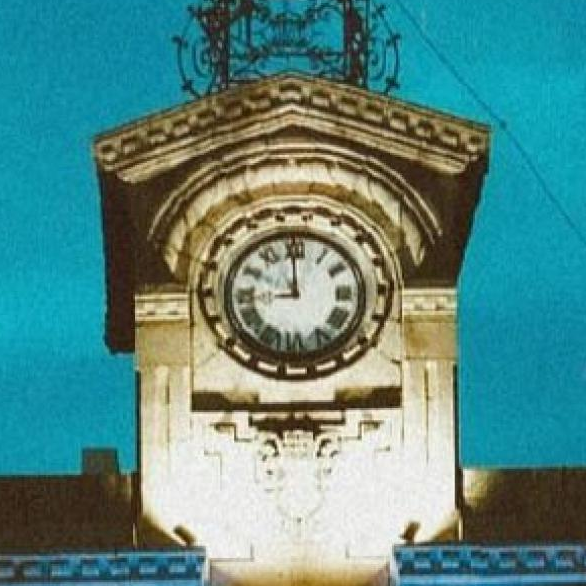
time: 11:59
